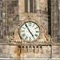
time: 4:54
